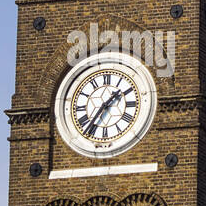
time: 1:36
